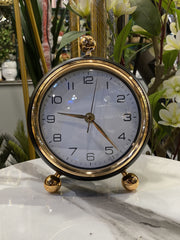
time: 9:23
